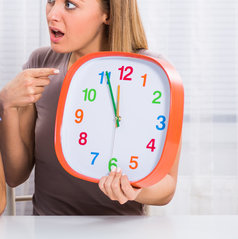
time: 11:55
